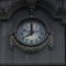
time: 7:59
